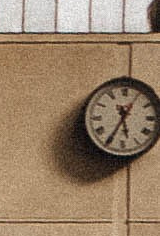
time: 5:35
